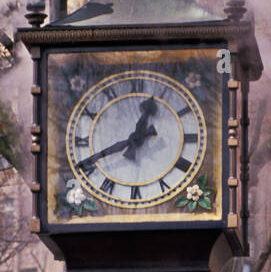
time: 12:41
